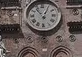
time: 12:53
